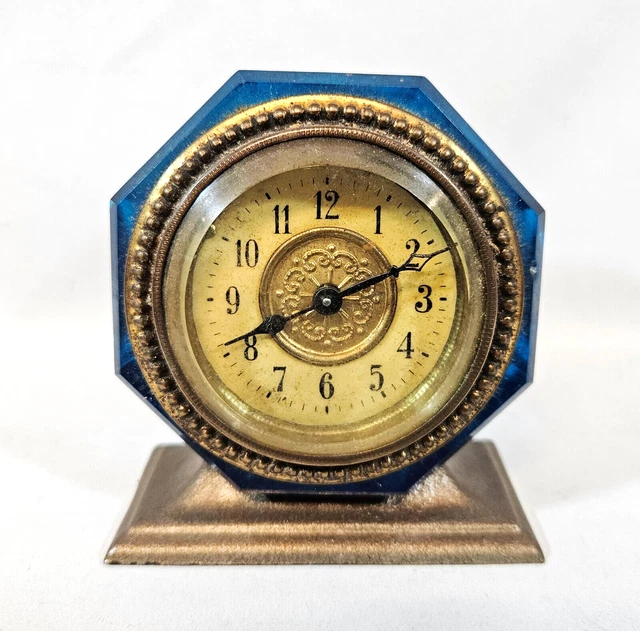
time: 8:11
